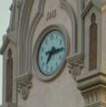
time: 7:15
